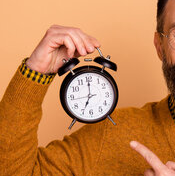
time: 7:00
